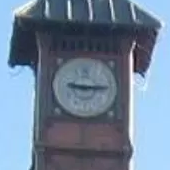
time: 9:15
